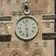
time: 11:28
